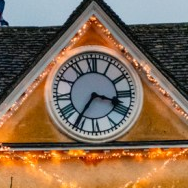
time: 3:35
